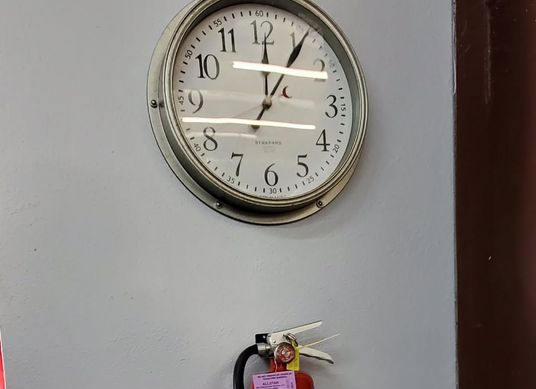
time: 1:05
